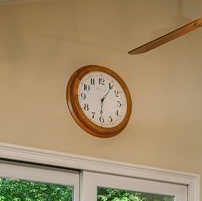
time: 6:06
